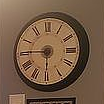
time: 5:45
